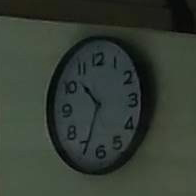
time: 10:34
